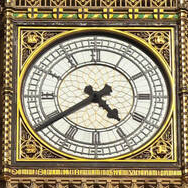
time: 4:39
